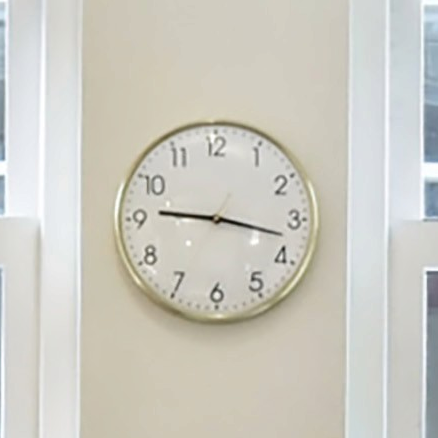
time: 9:17
